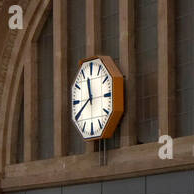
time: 11:40
